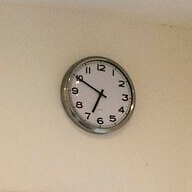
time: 6:49
